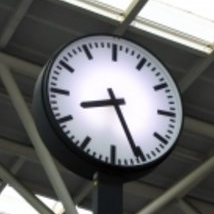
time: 8:25
